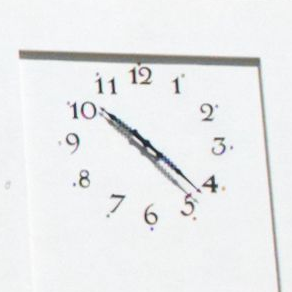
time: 10:22
